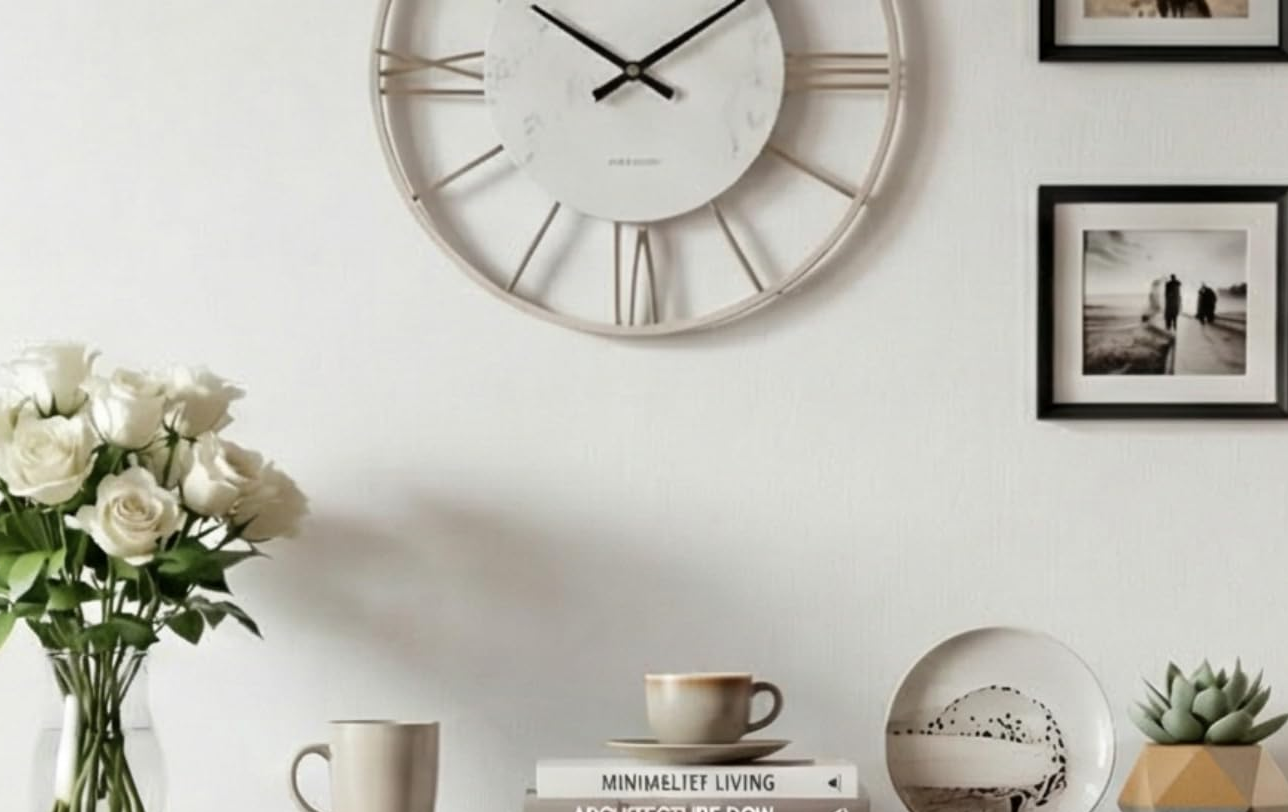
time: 10:08
